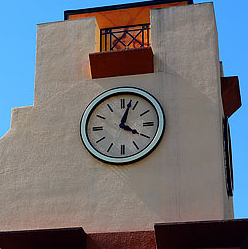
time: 4:02
